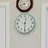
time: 12:30
